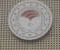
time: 10:12
